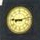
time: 9:12
